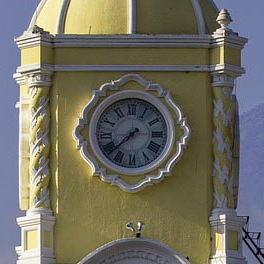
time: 7:37
